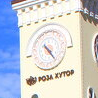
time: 4:22
